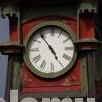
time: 4:53
